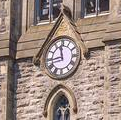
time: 11:43
